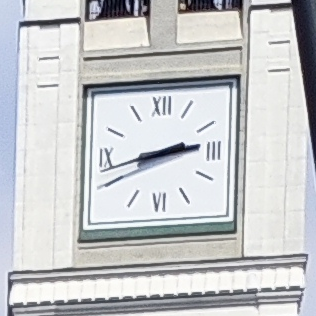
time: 2:42
